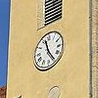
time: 11:24
